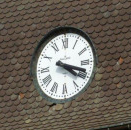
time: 4:18
